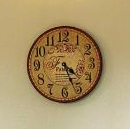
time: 4:26
